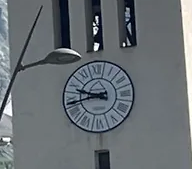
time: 9:42
